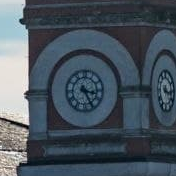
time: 3:24
